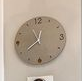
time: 12:38
